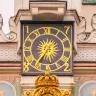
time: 5:35
